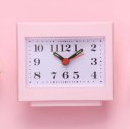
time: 1:52
